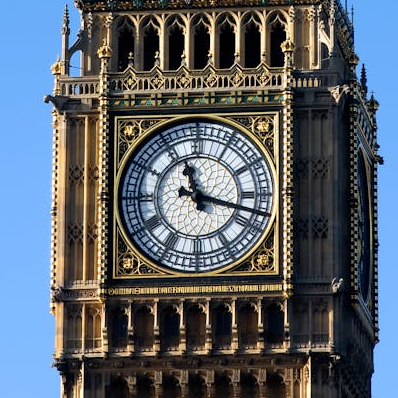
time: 11:17
